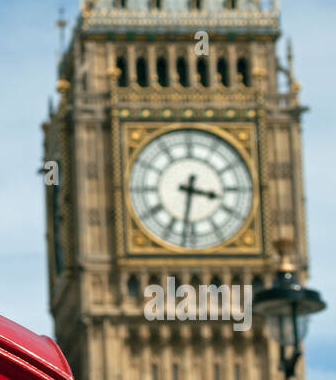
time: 3:31
